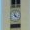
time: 11:21
